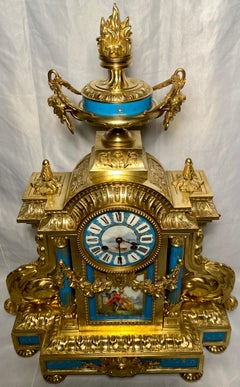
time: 2:48
